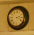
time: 2:18
